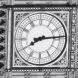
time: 8:14
